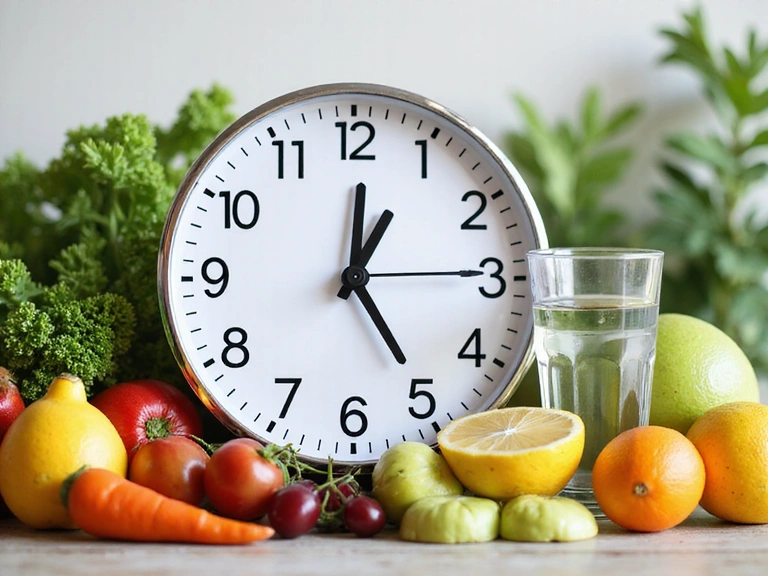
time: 12:24
